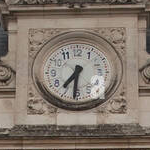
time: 7:31
